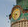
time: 8:36
